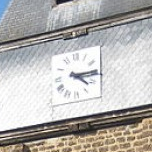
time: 4:14
